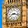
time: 8:17
